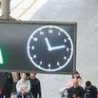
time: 11:13
